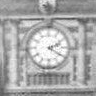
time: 2:20
